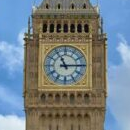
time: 11:14
